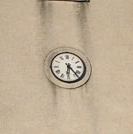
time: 6:23
